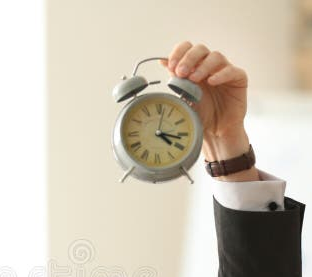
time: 4:16
